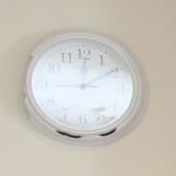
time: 12:09
